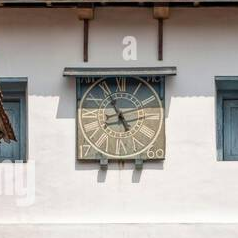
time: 7:55
